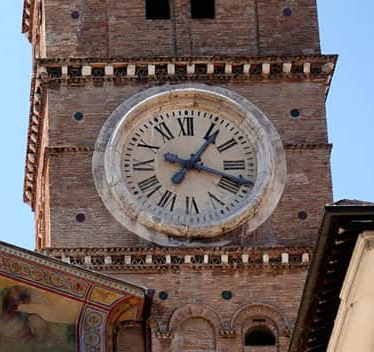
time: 1:18
